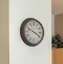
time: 3:48
